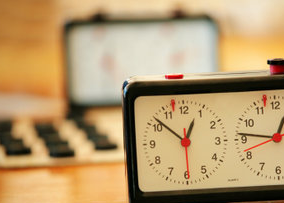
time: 12:51
